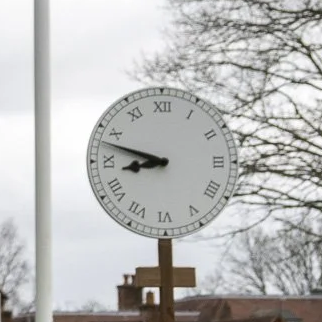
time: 8:48
